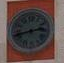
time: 2:42
